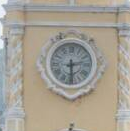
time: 2:29
